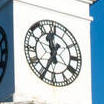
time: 11:34
